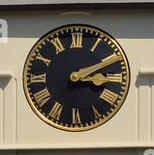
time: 3:10
